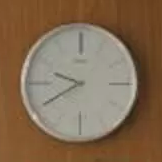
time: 9:40
